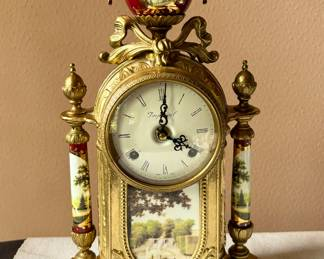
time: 4:01
